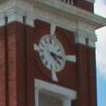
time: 4:16
